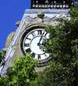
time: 3:03
